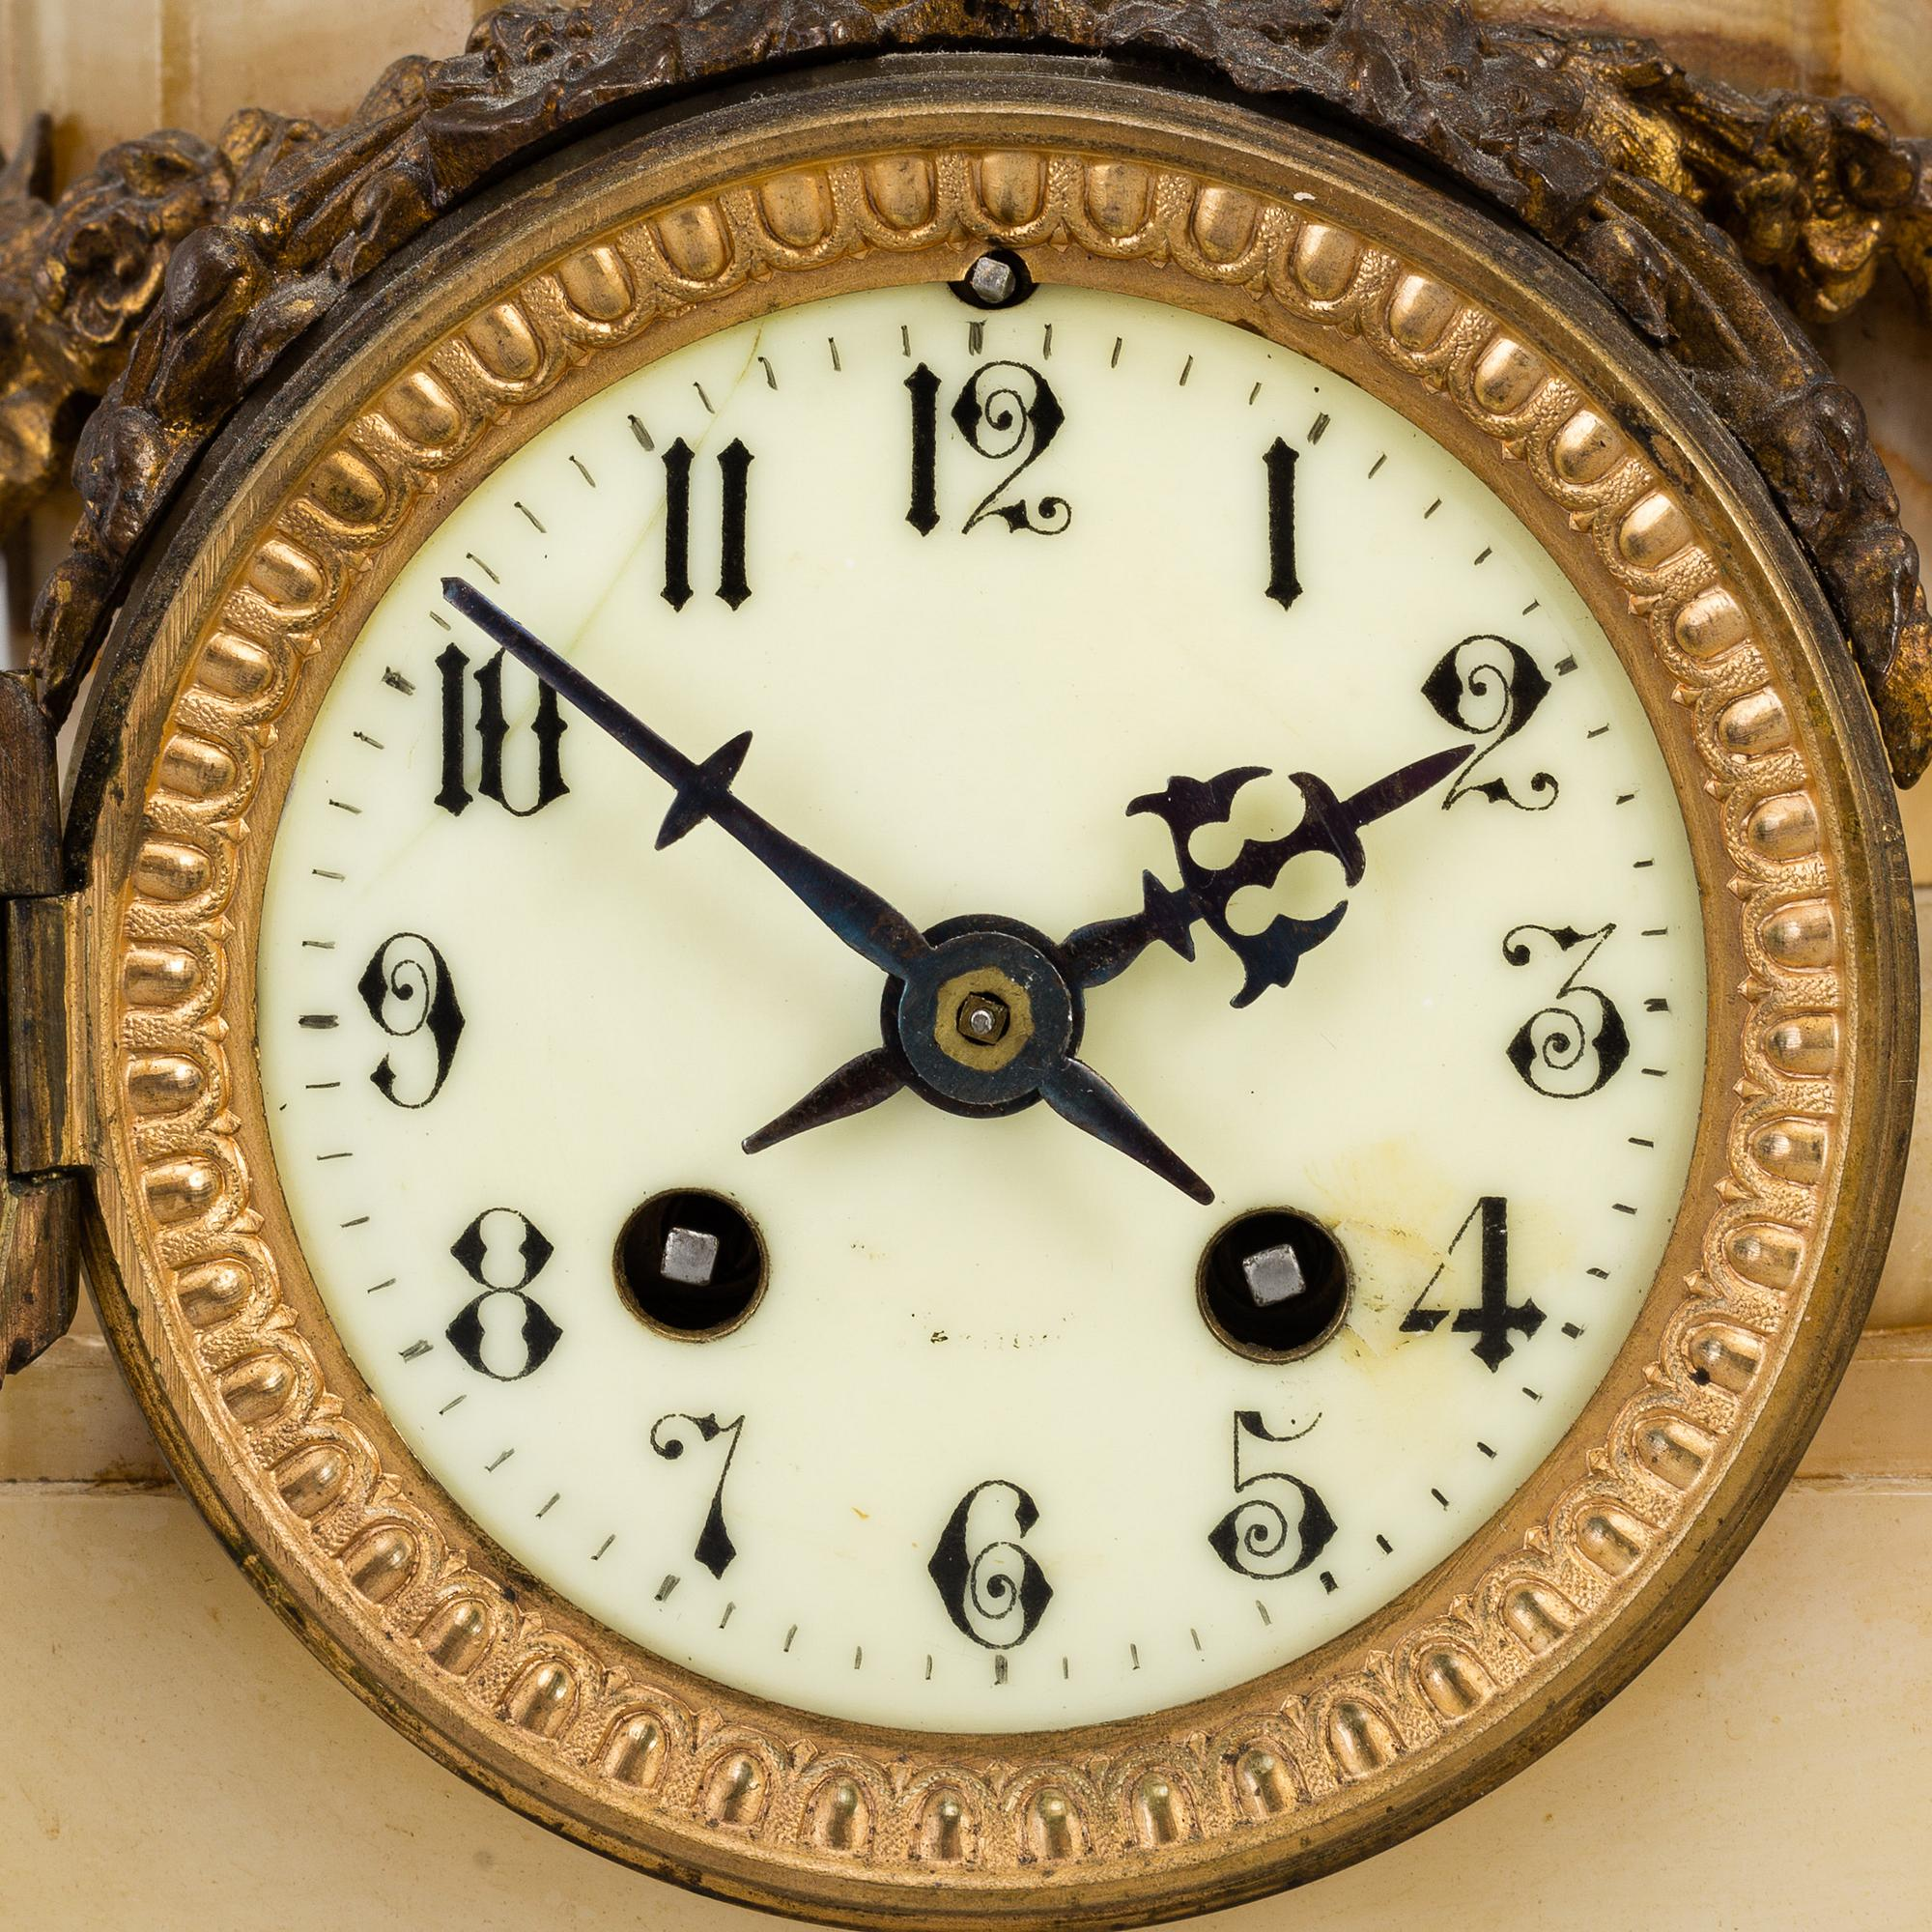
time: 1:51
